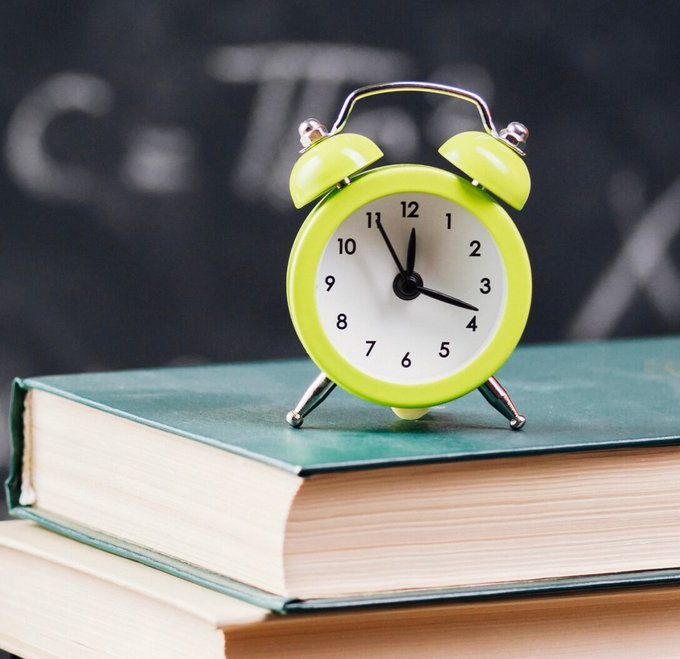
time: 12:18
